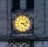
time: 4:12
